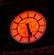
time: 5:29
